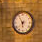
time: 5:55
